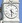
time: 4:29
